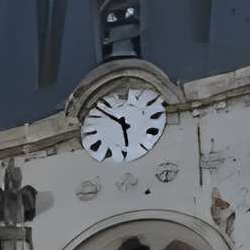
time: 5:51
